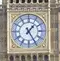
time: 1:24
